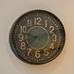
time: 9:38
